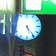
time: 5:24
